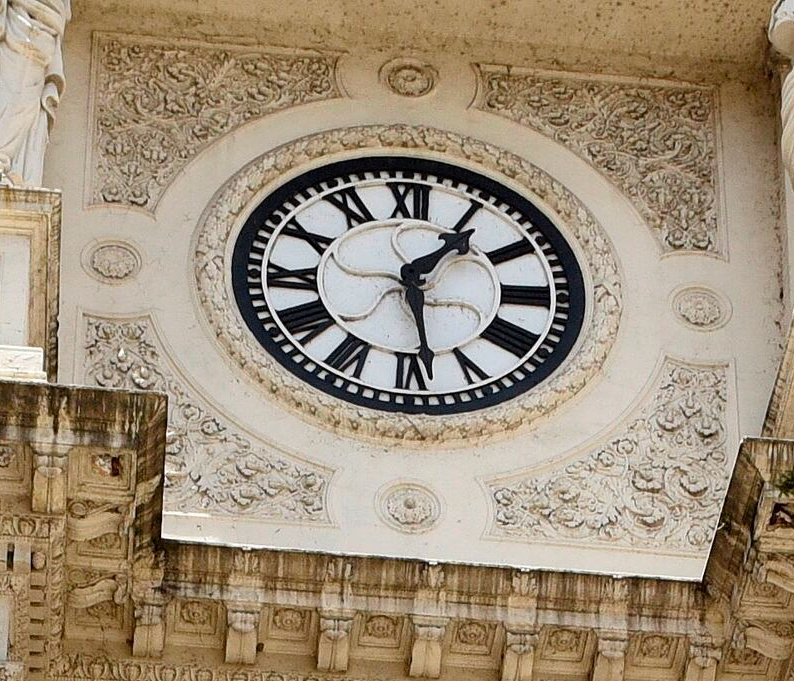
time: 1:28
